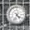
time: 4:33
